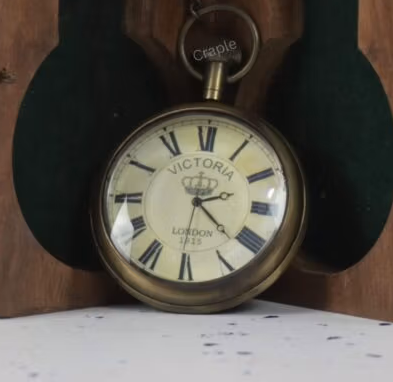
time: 2:21
